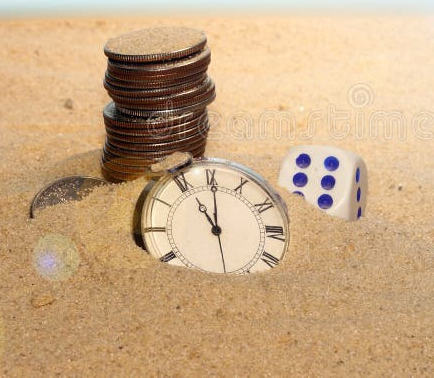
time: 11:00
